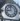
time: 8:58
